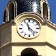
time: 11:22
